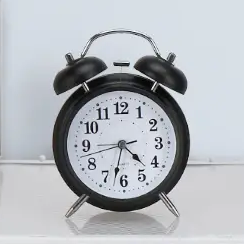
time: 4:32
